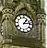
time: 1:13
